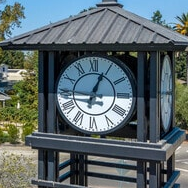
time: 12:45
